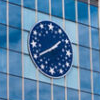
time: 1:40
